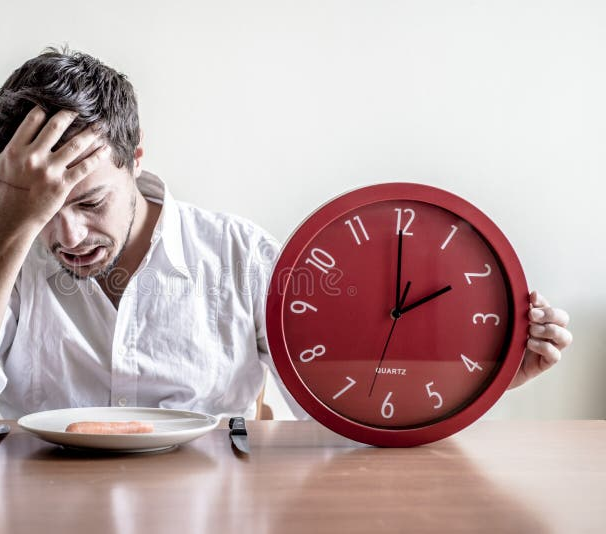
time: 1:59
